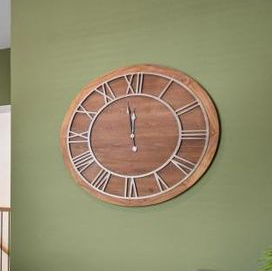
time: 11:58
